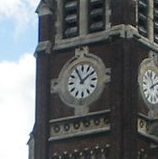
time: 1:55
